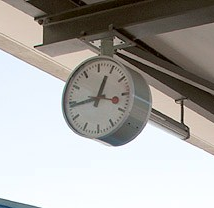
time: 12:44
